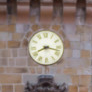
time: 8:17
